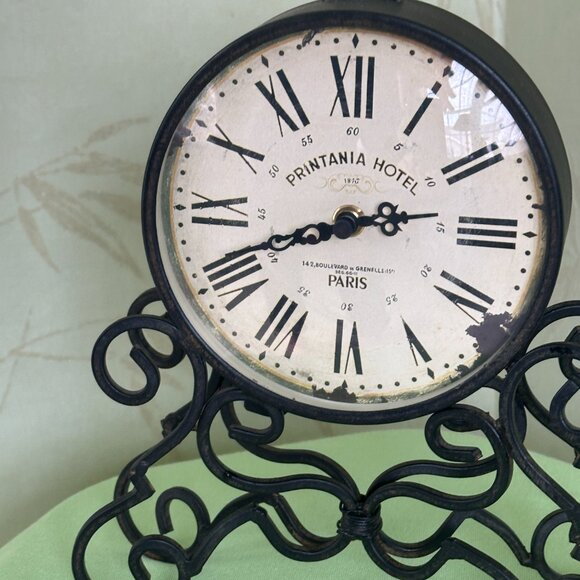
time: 2:41
